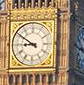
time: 8:50
